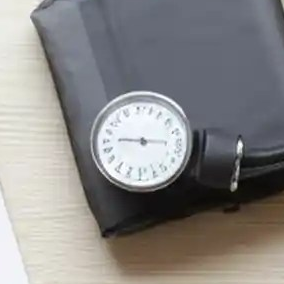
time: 9:15
